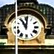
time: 11:01
